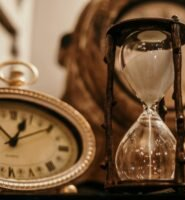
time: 12:07
